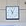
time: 11:04
